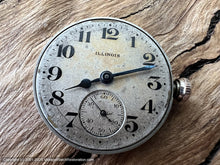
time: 8:12
